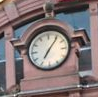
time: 7:06
